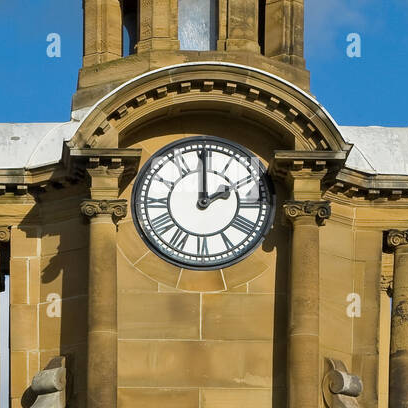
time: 2:00
